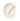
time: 7:07
